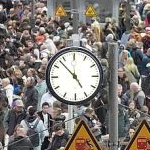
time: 4:52
